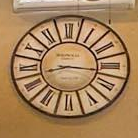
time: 8:16
